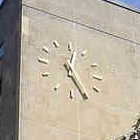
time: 12:25
